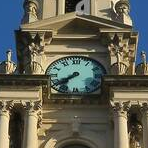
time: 7:40
